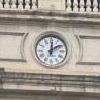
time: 12:09
